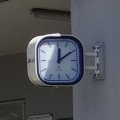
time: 12:09
